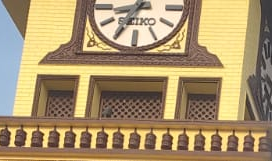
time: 8:35
